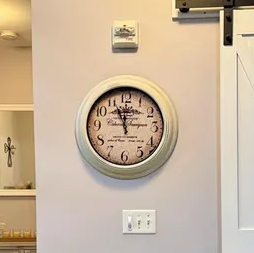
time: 11:56
